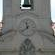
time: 11:38
